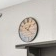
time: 1:21
